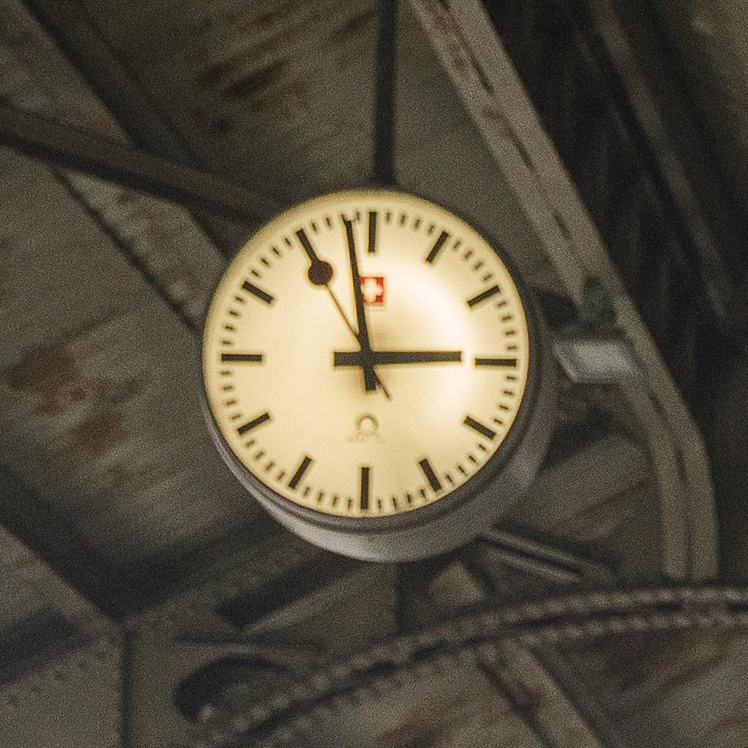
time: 2:58
